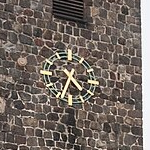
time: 4:34
